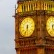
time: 5:33
